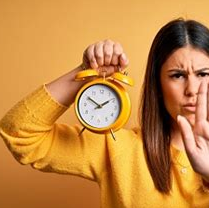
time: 1:50
